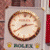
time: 2:39
